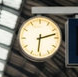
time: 6:12
